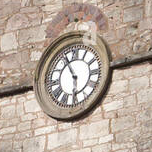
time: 5:55
